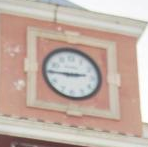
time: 2:45
